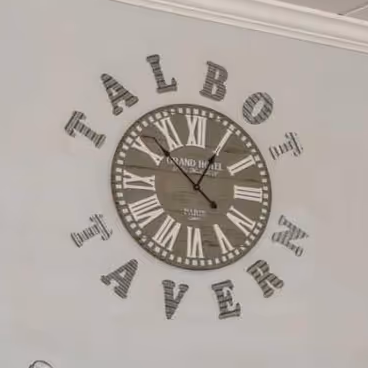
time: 12:52
